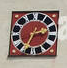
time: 2:34
